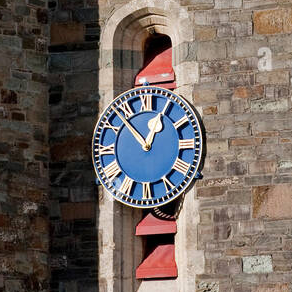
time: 12:53
